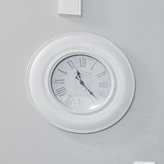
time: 11:22
